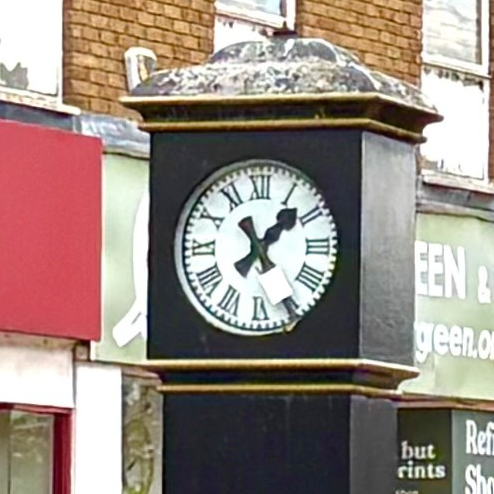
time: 11:07
